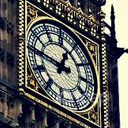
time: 12:46
